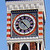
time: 10:23
